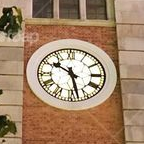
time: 10:28
